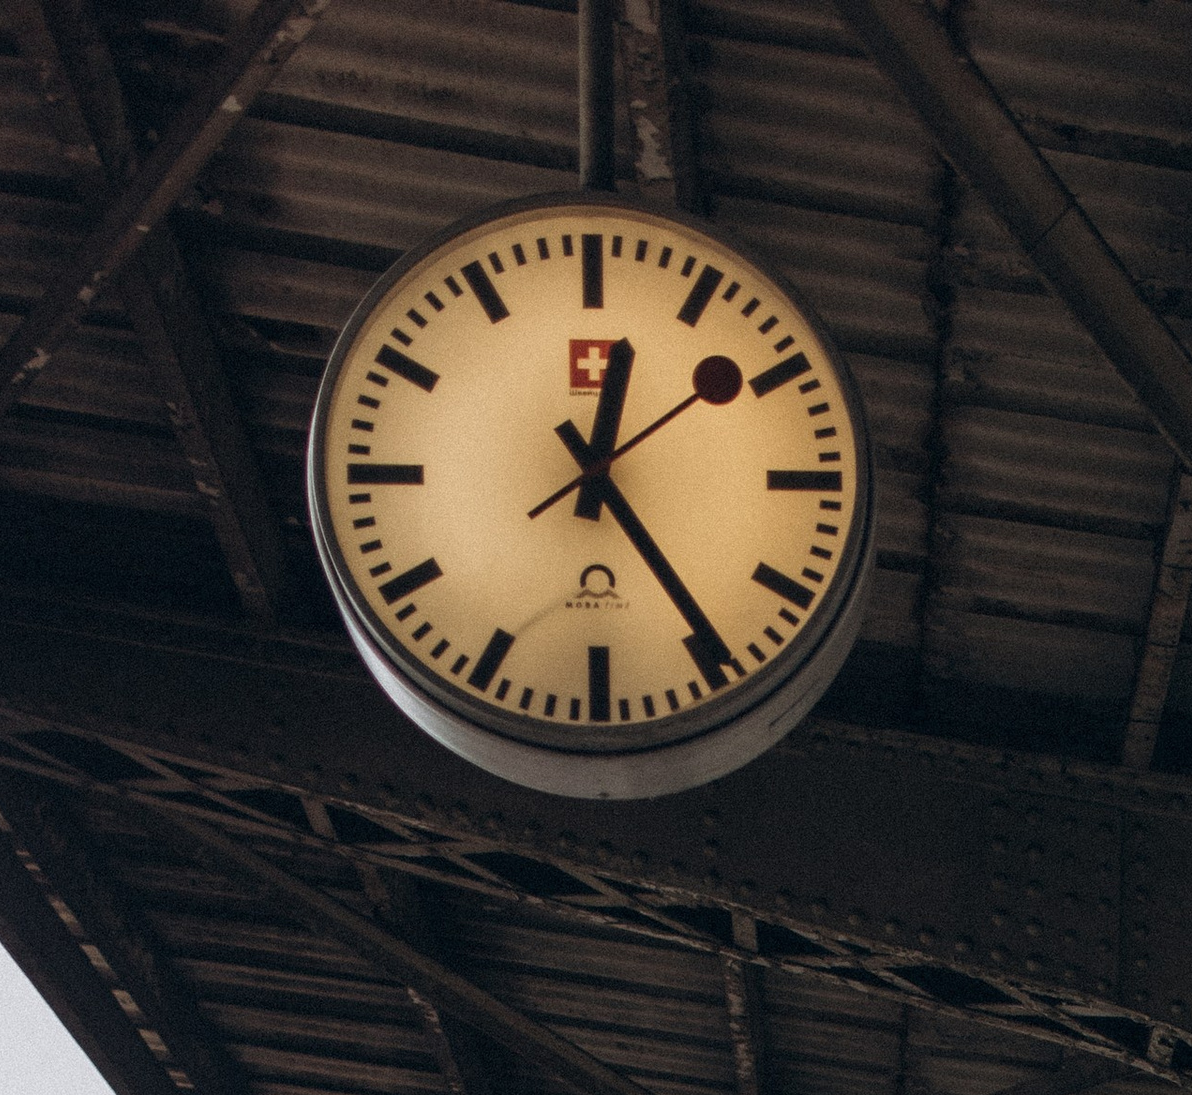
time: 12:24
